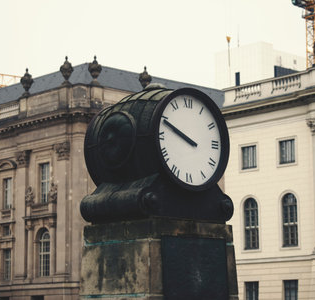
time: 9:50
